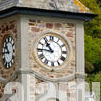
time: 10:45
